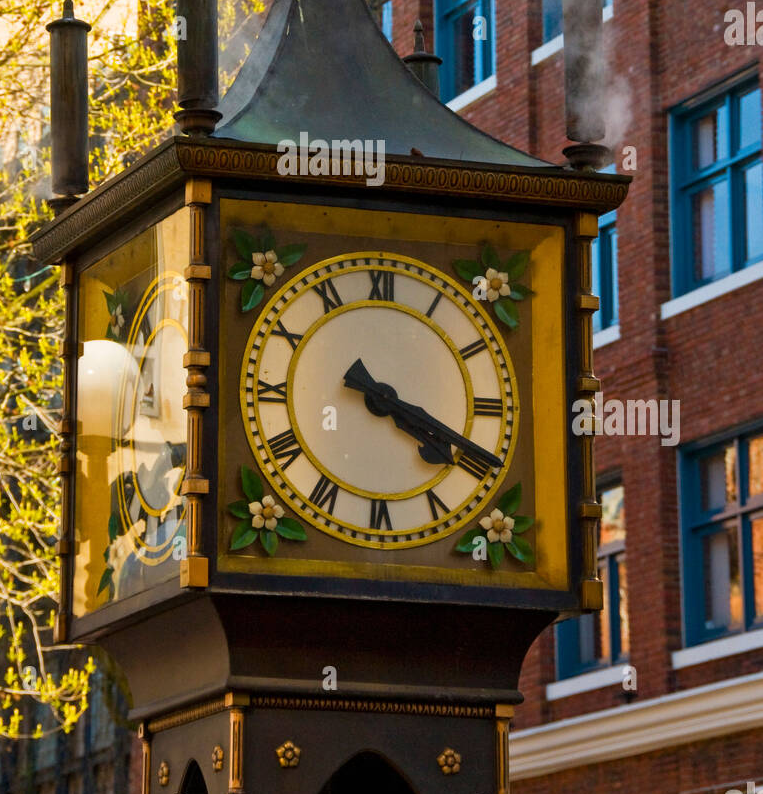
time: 4:19
